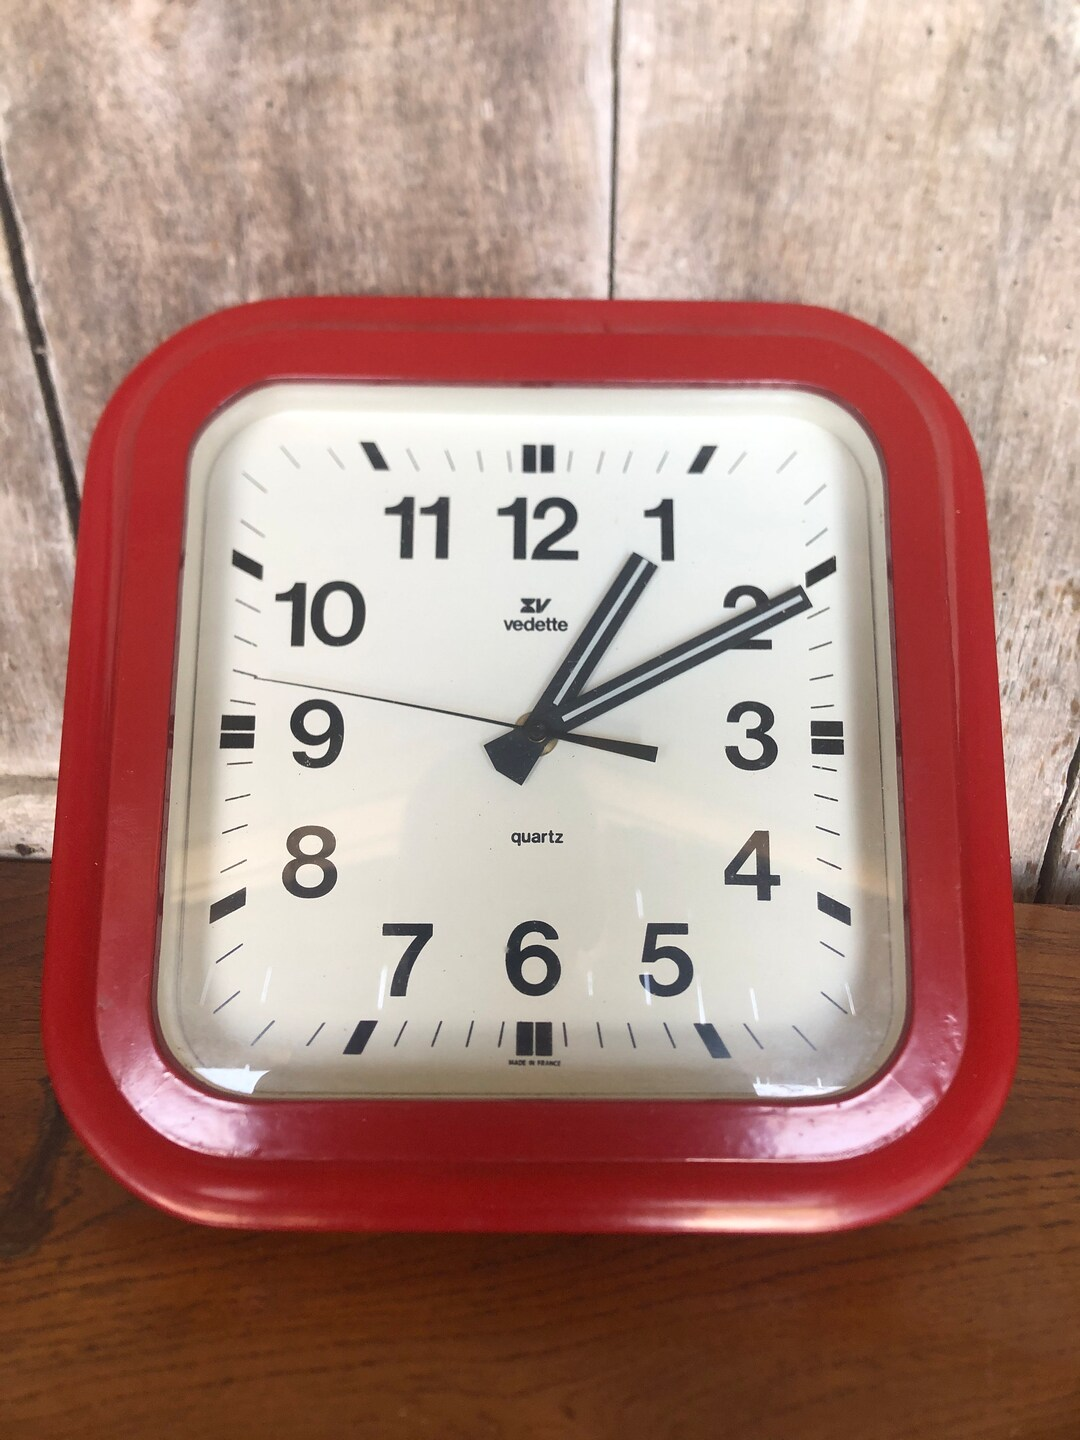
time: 1:10
